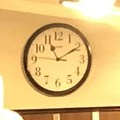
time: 11:09
